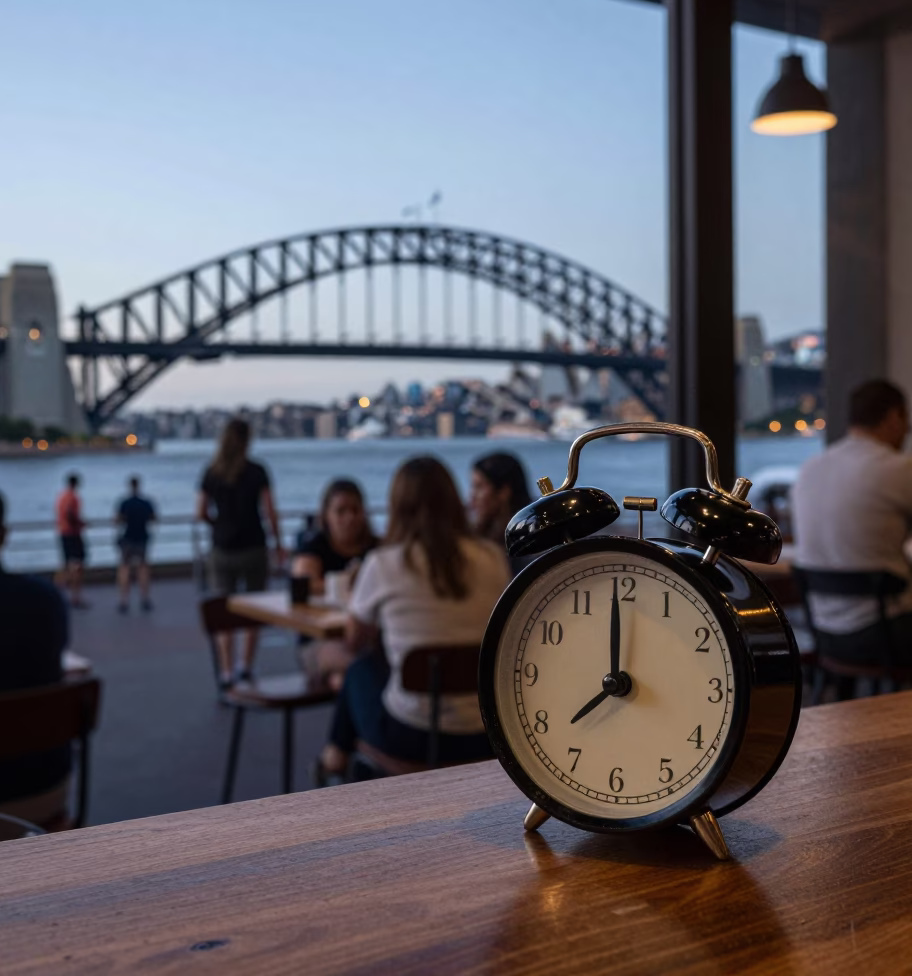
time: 7:59
